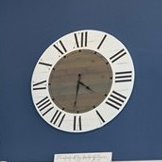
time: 4:31
